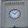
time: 10:07
